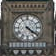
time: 4:21
